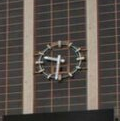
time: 9:31
